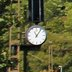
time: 11:06
